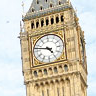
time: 4:47
